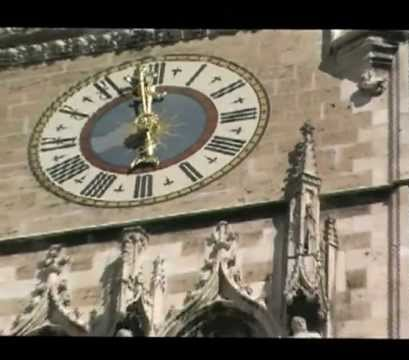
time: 5:59
